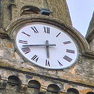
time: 5:42
